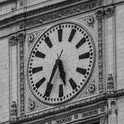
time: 5:35
